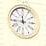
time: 11:45
